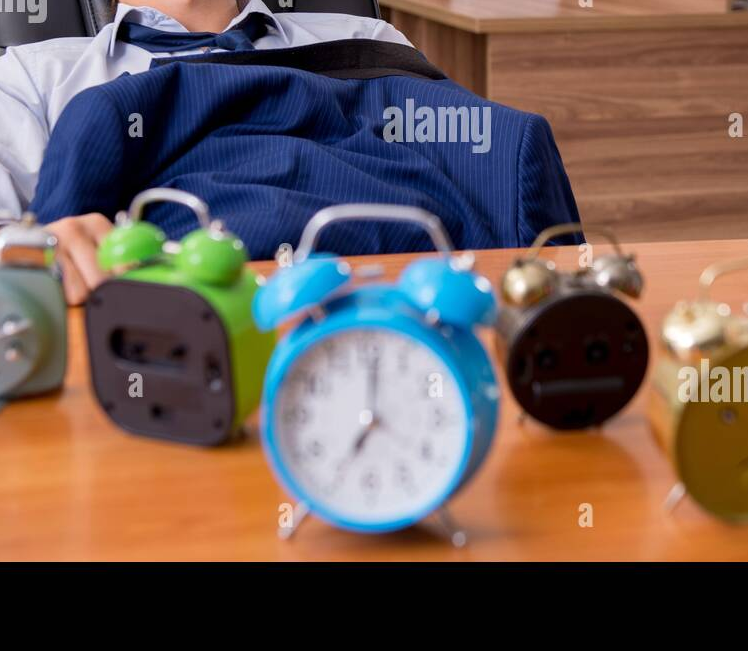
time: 7:00
